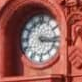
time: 3:16
